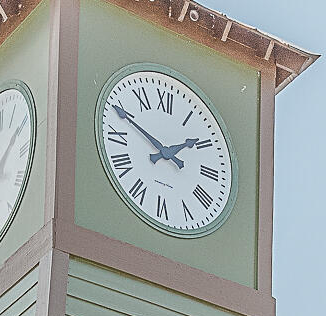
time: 1:49
